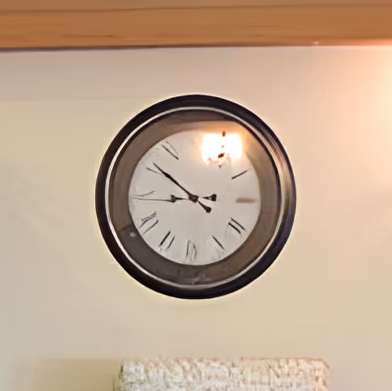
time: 8:51
